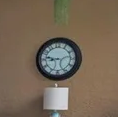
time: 9:12
